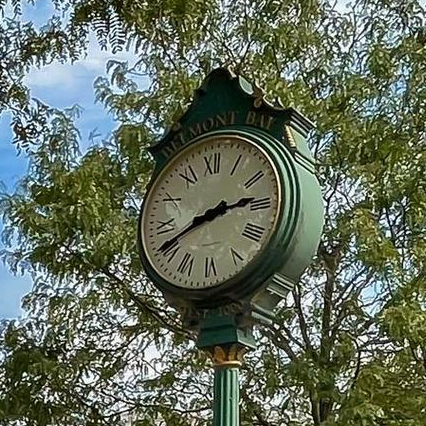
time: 2:40
